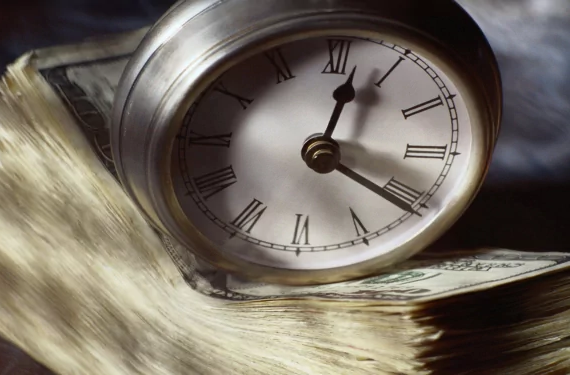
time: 12:20
